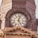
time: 5:02
